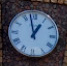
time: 12:57
